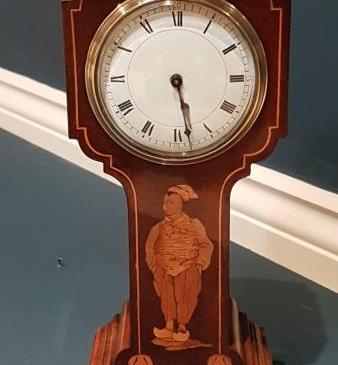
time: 5:28
